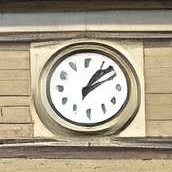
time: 1:08
